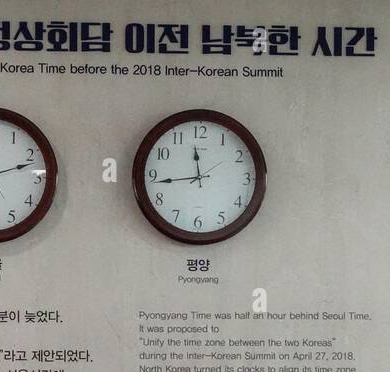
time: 11:43
